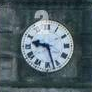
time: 9:27
